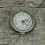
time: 2:21
